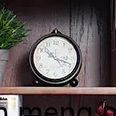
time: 10:18
